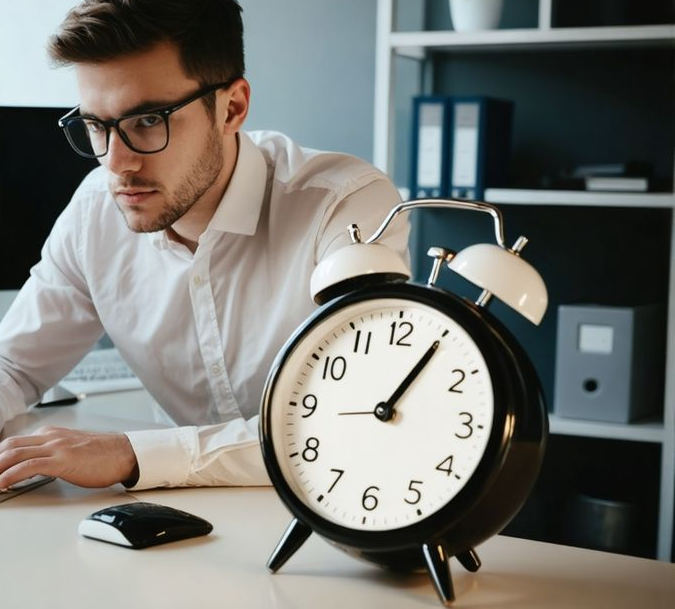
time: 1:05
